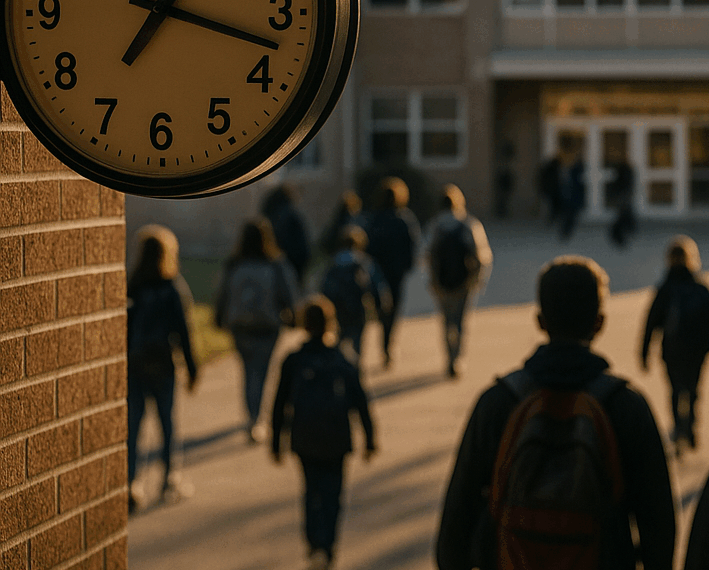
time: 7:17
